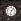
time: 1:33
